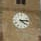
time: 4:13
